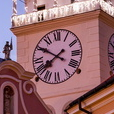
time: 7:50
